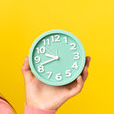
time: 9:42
